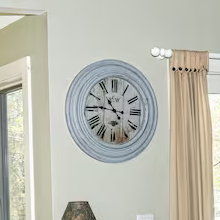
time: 10:45
